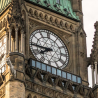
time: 7:44
